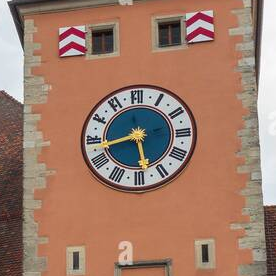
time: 5:42
